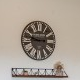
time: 2:46
